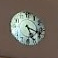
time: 5:18
